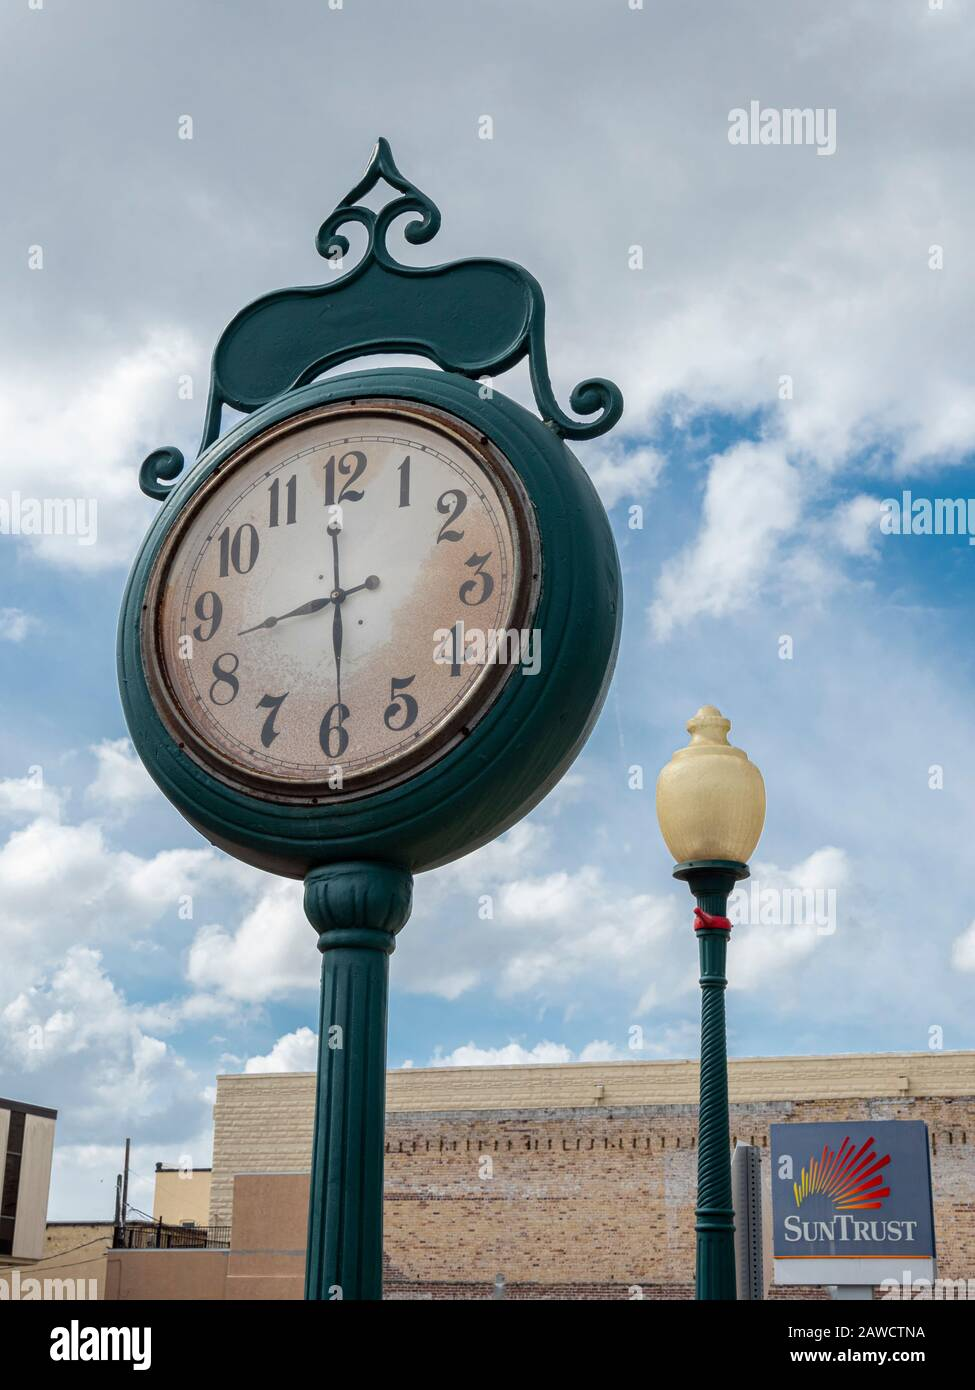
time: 8:30
